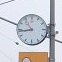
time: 10:43
